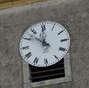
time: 11:52
